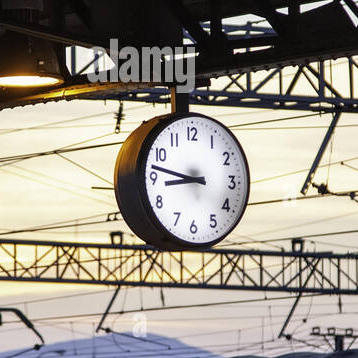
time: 8:47
